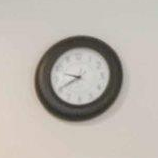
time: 9:40
